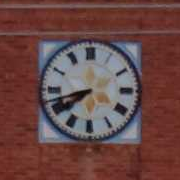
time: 7:42
